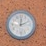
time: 12:11
